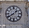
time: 1:39
